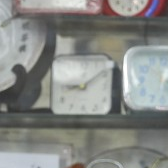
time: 9:08
